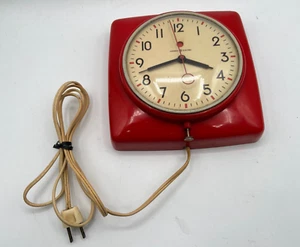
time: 3:42
